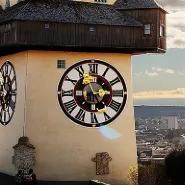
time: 4:56
